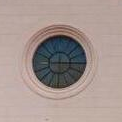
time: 6:15
